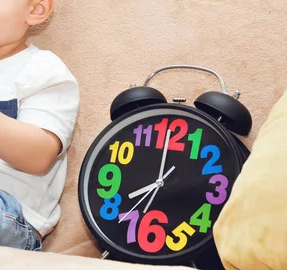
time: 8:00
